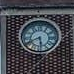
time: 5:40
